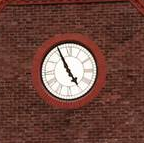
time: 4:55
